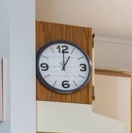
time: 1:00
